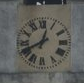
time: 12:40
